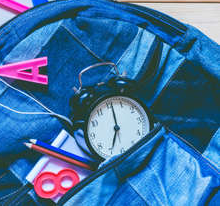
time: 7:01
